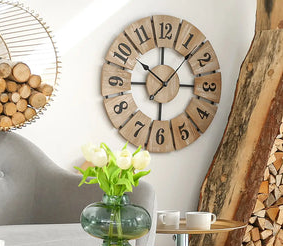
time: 10:07
